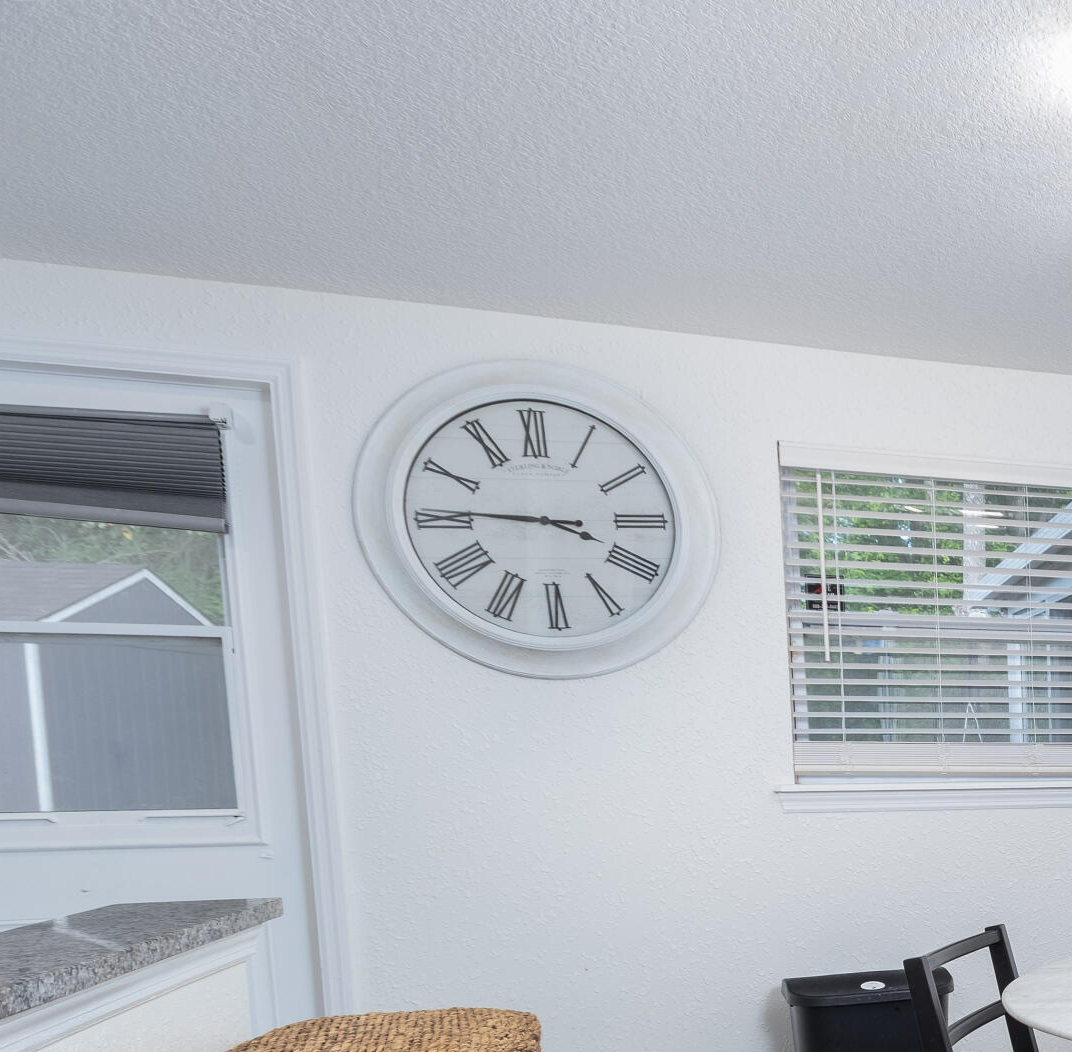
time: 3:45
